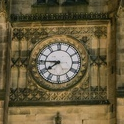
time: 7:45
